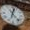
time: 12:23
